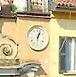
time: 1:02
